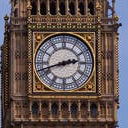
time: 2:42
